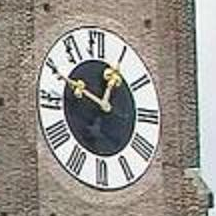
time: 12:49
